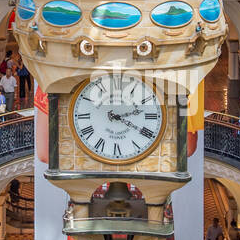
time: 2:20
